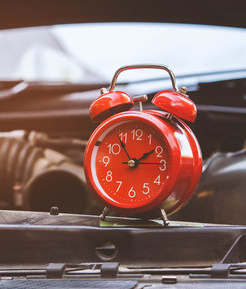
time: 1:54
